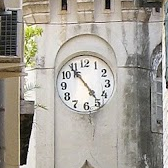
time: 4:53
